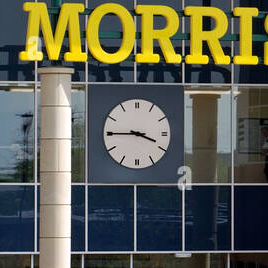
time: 3:45
